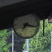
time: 7:17
